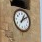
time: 1:09
